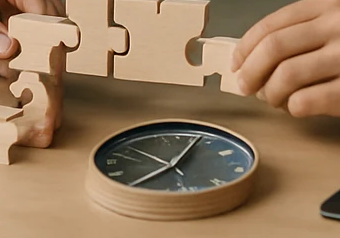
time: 10:03
